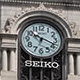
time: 10:18
